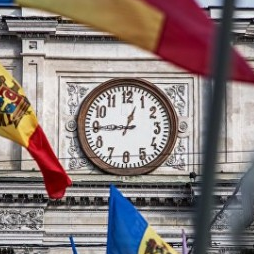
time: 12:44
